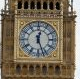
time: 12:26
